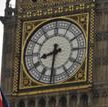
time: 8:31
